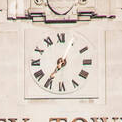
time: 7:04
